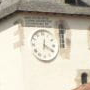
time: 12:19
